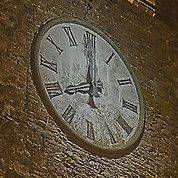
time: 7:59
